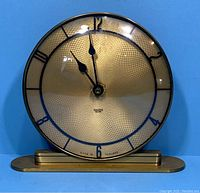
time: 10:58
